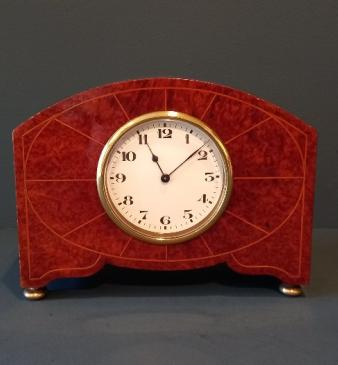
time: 11:08
